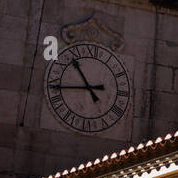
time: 10:43
